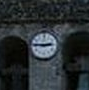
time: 2:46
